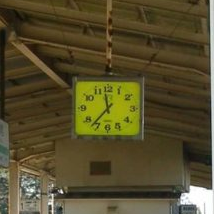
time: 11:36
